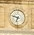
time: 6:47
